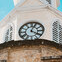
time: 4:03
